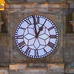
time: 12:58
